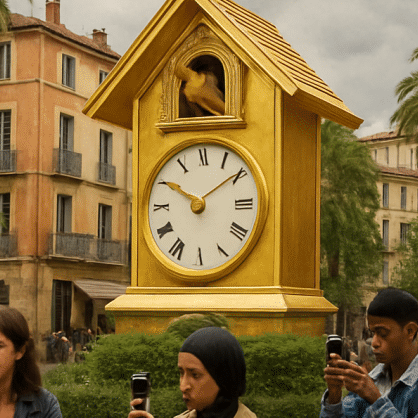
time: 1:50
